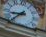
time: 8:37
